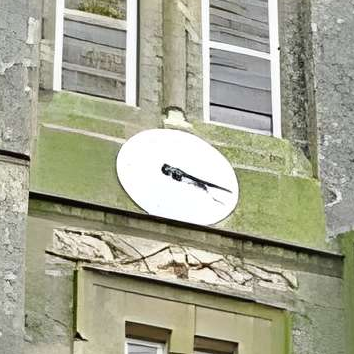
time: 3:17
